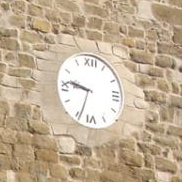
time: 9:33
